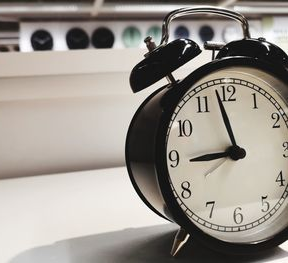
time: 8:57
